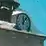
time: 12:06
